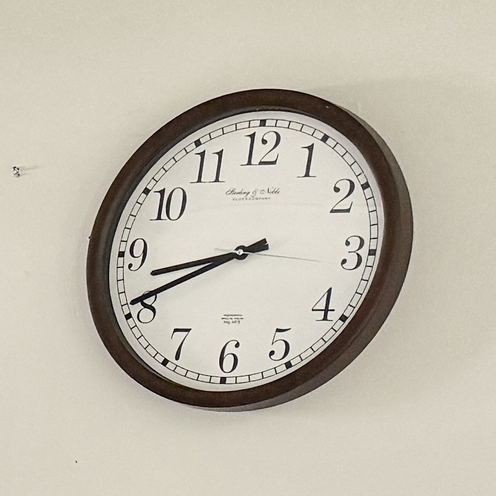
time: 8:40
